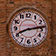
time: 8:13
